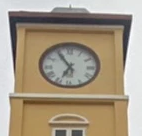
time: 6:54
